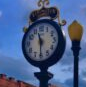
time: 11:30
